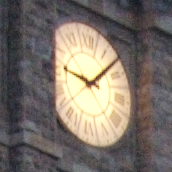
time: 9:07
